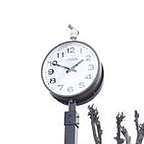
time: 1:49
